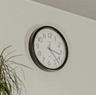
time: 3:22
